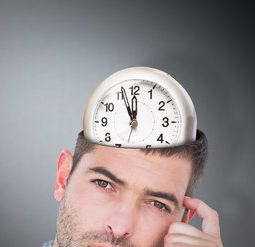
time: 11:55
